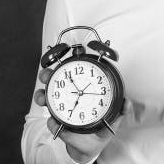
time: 6:55
